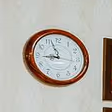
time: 8:56
